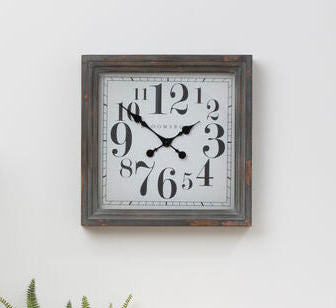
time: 1:51
